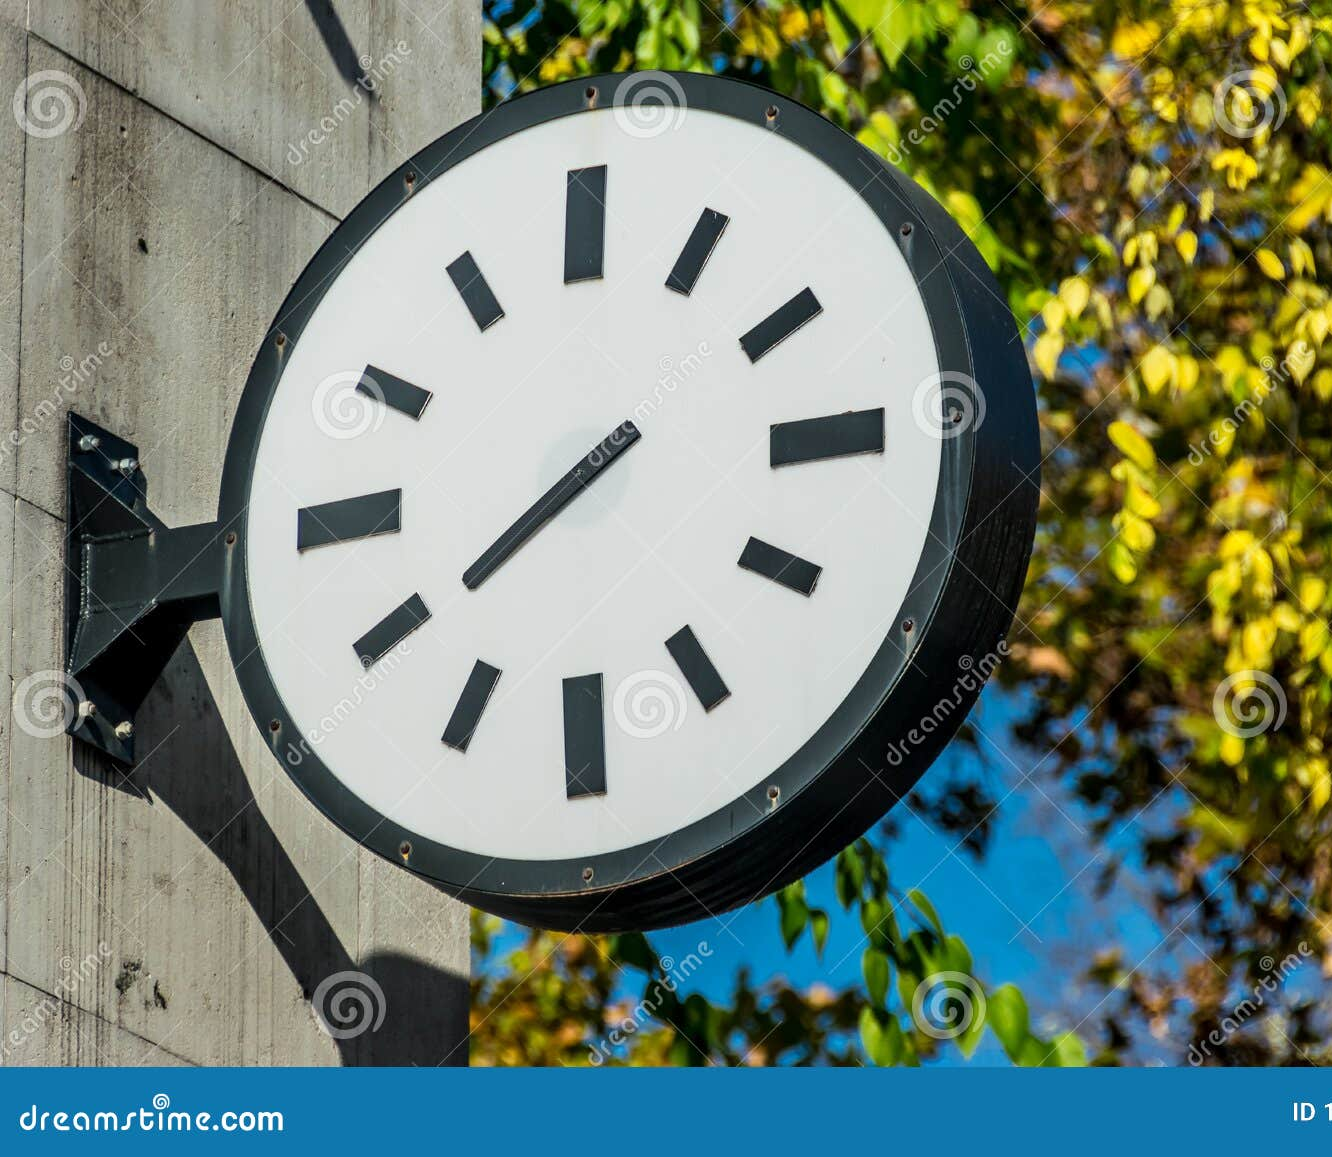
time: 7:39
